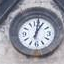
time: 1:01
